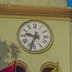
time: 9:33
